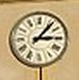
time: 3:06
